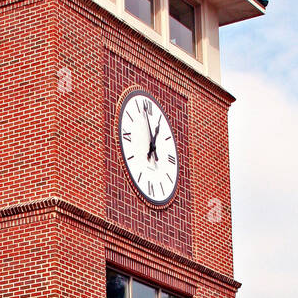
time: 12:57
